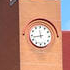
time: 11:42
